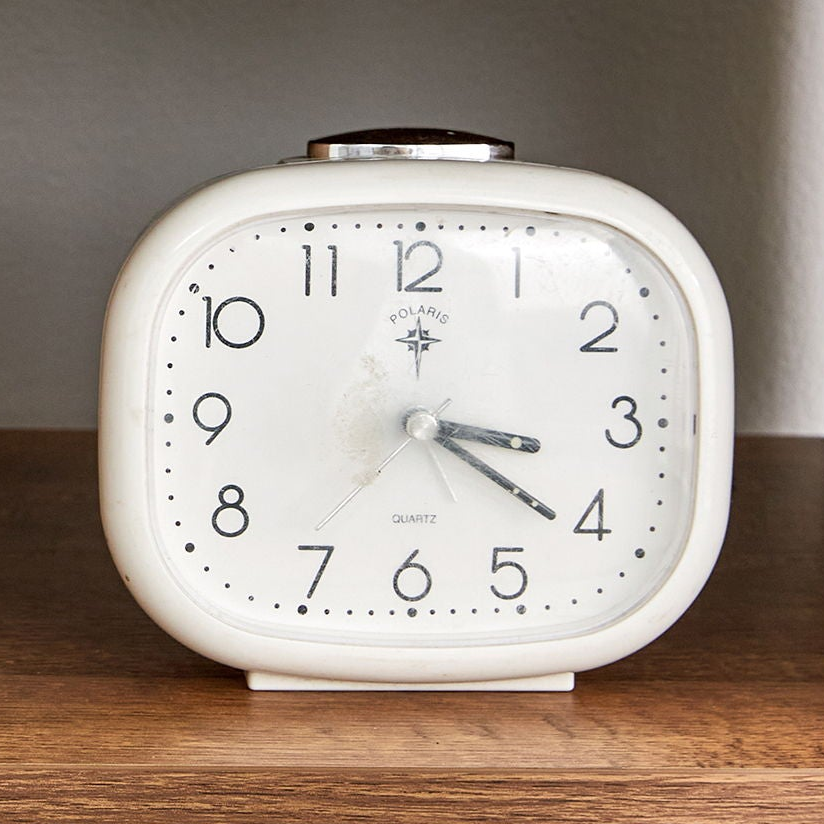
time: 3:20
